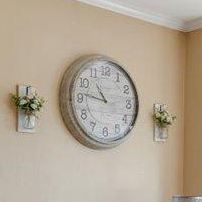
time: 10:46
